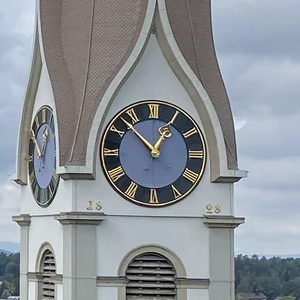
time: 12:52
